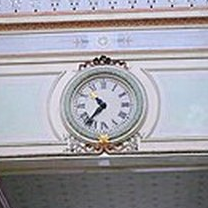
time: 10:36
